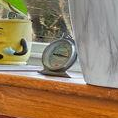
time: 3:17
